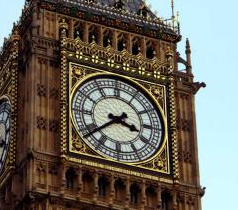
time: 3:38
